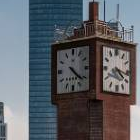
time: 4:21
